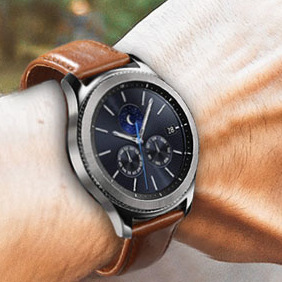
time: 9:01
